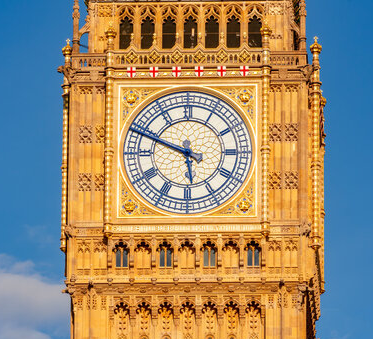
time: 5:48
